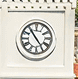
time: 4:54
